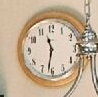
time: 11:32
